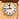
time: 11:44
